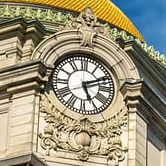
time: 5:11
